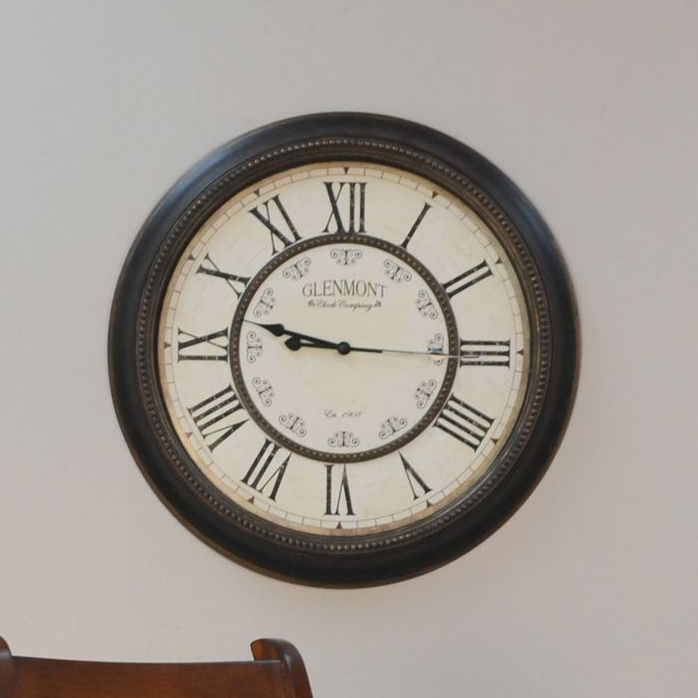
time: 9:15
